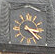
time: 3:22
